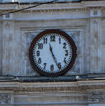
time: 11:25
